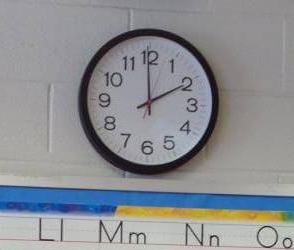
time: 1:59
